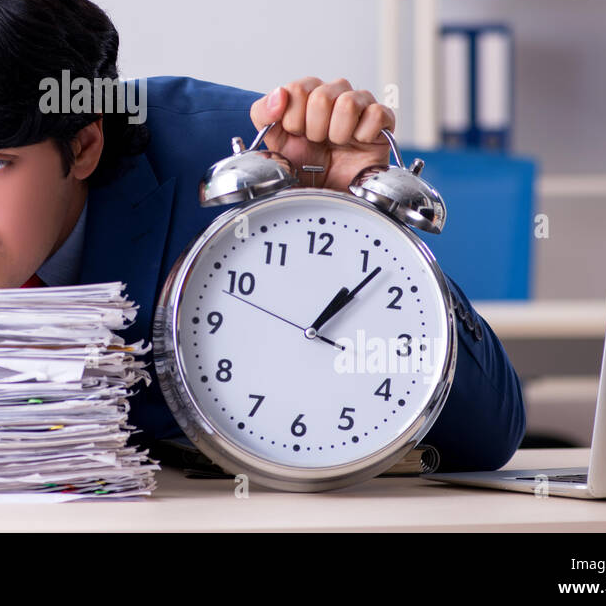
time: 1:06
